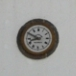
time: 8:49
